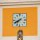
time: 7:40
